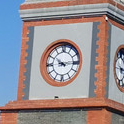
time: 10:14
